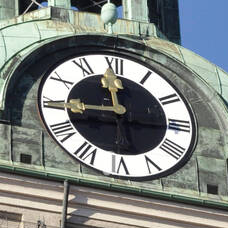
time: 11:44
